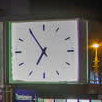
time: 6:54
